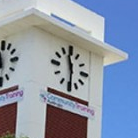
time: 11:30
